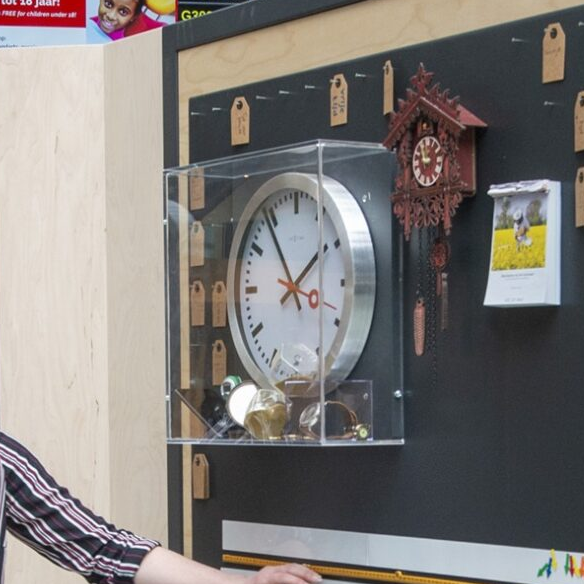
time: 1:54
